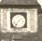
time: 1:36
